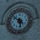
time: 5:51
